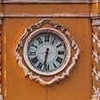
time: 6:32
